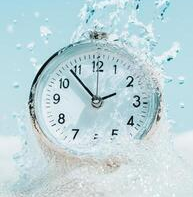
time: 1:53
